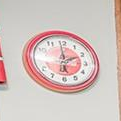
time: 1:59
